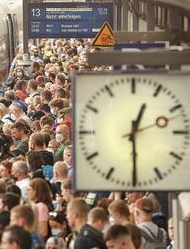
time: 12:29
